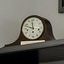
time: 11:48
